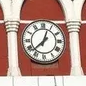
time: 12:37
